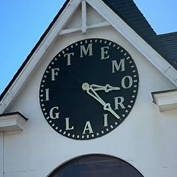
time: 3:22
